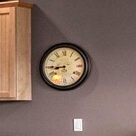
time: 8:45
